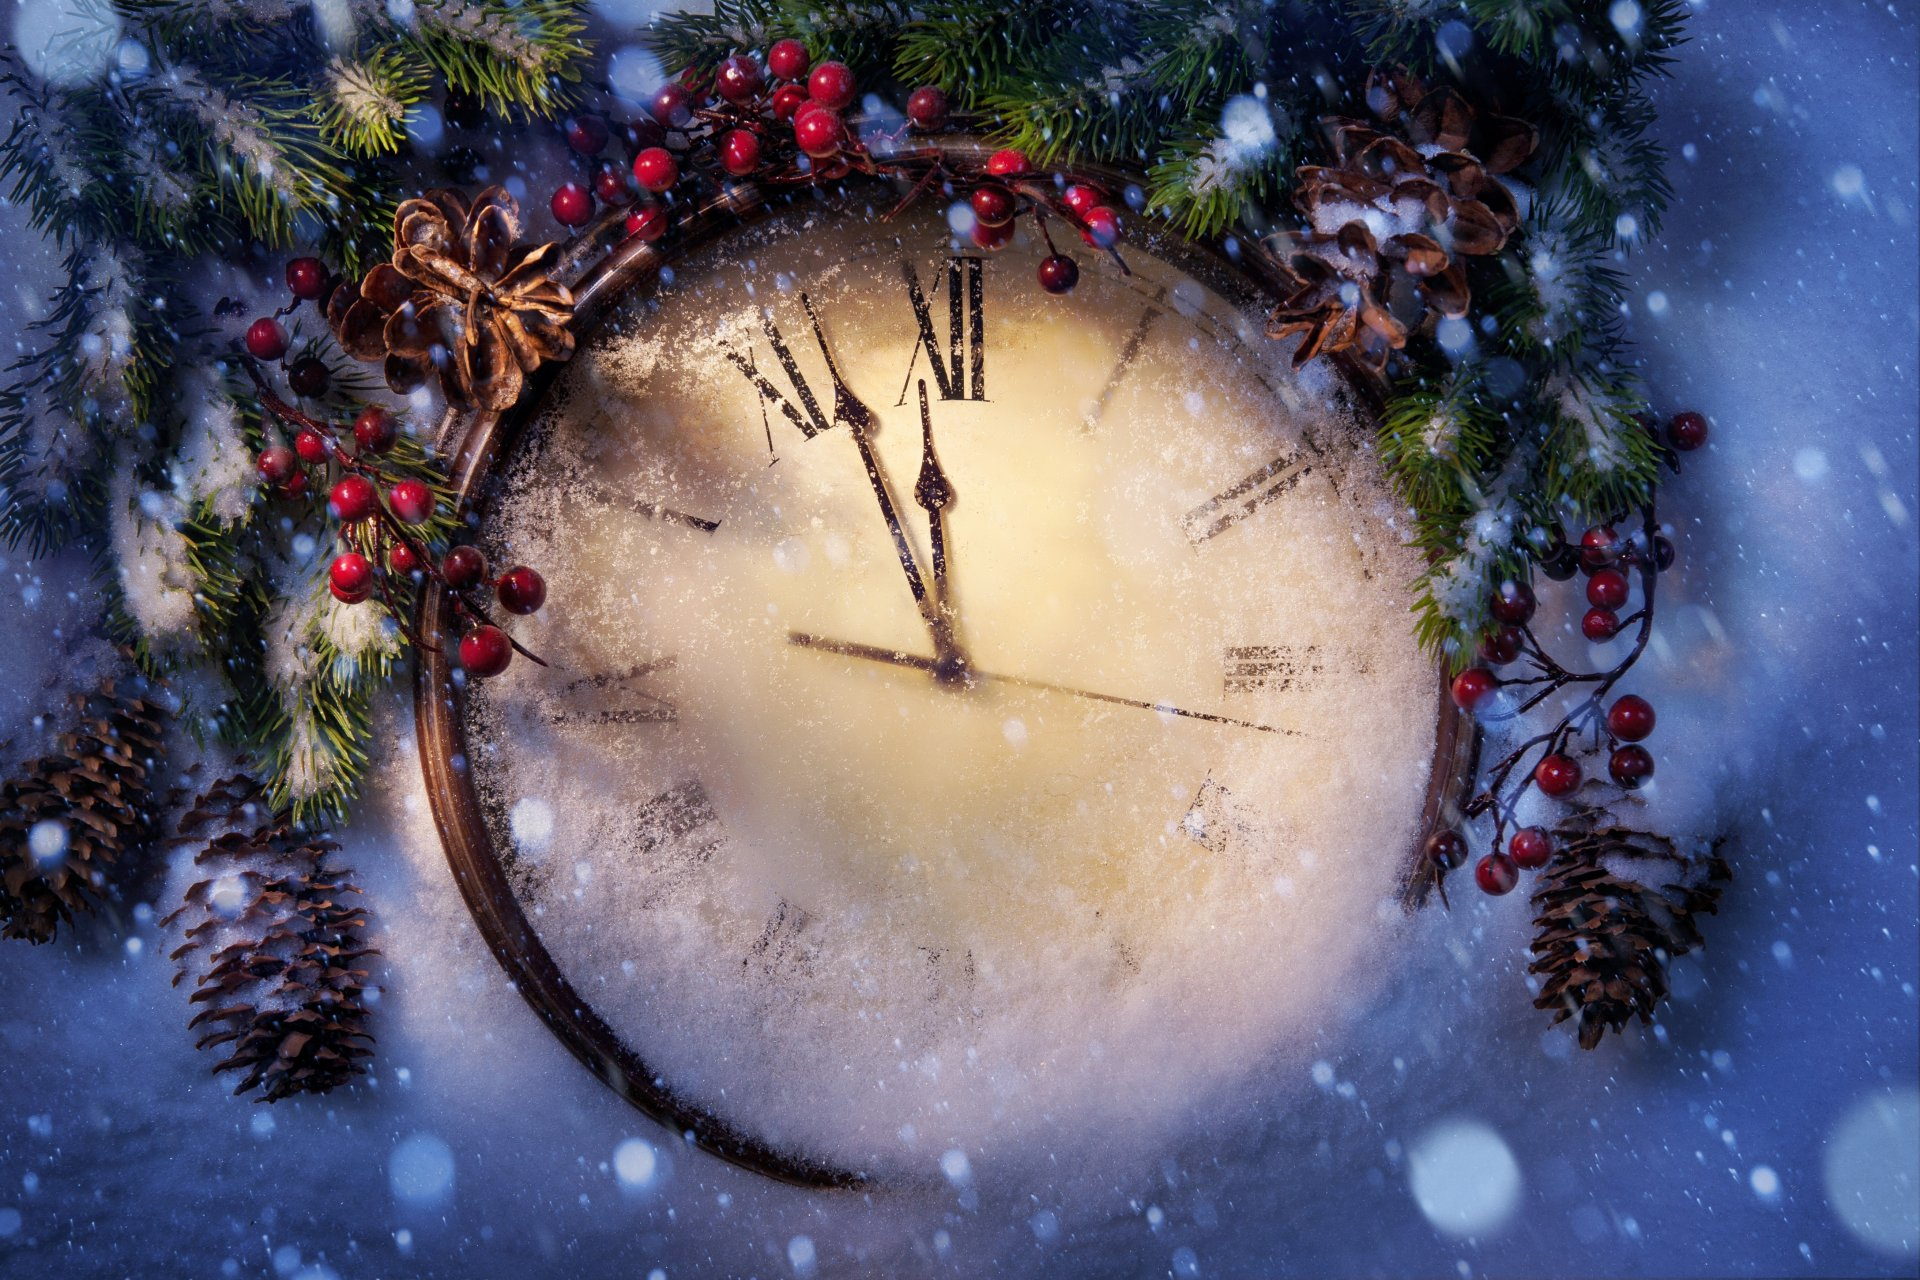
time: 11:56
